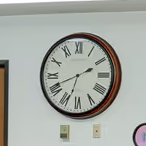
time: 6:41
